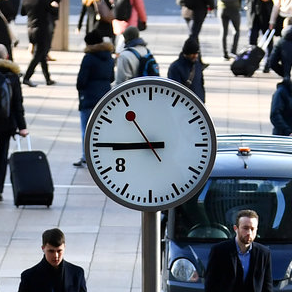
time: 8:45
